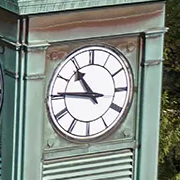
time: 10:45
